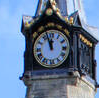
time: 11:57
